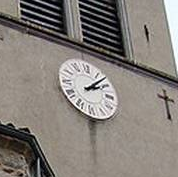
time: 2:07
